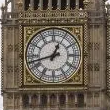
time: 12:42
